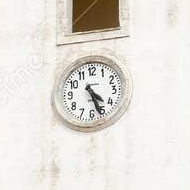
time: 4:26
